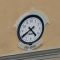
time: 4:39
